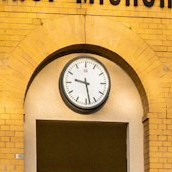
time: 9:28
